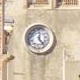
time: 12:23
